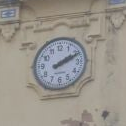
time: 2:11
